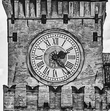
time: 2:22
